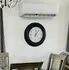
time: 12:06
